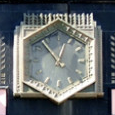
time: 12:53
